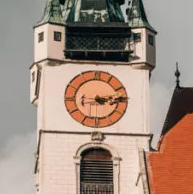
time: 3:13
